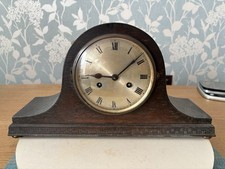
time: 9:08
